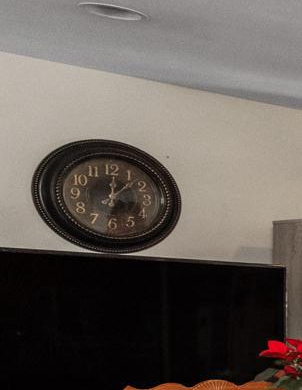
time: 12:07
